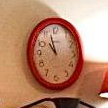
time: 10:57
